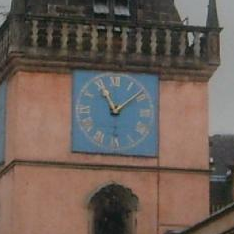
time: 11:08
